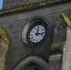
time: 12:16
